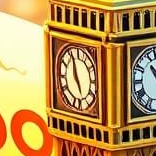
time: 4:56
